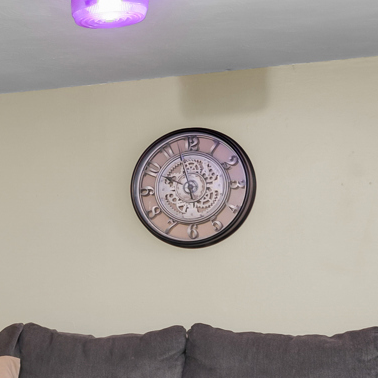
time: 9:57
